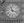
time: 11:17
